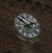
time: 1:50
